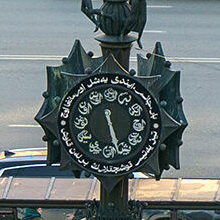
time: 5:26
